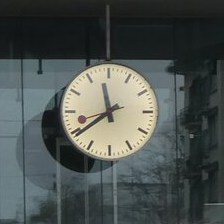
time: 11:39
